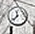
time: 11:37
